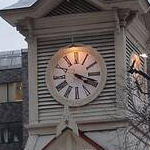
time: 4:18
